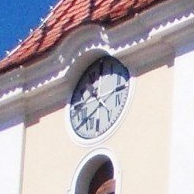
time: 10:39
